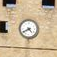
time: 4:40
